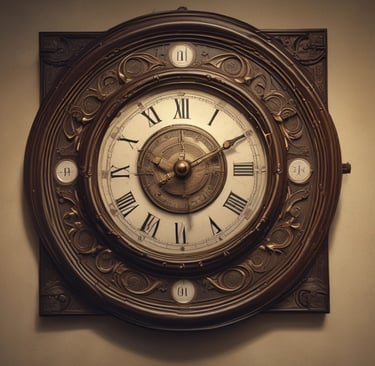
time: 9:10
